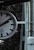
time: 2:09
